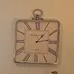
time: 1:13
